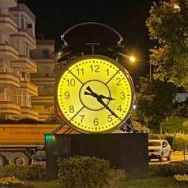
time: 3:22
